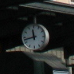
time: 11:42
